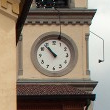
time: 10:53
